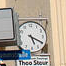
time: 5:19
